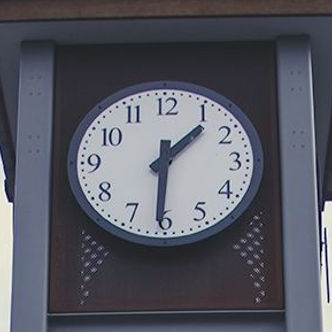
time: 1:30
